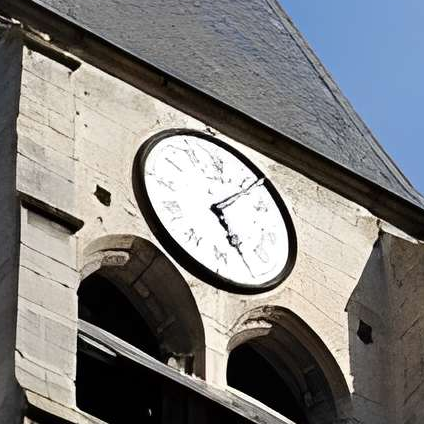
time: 5:06
